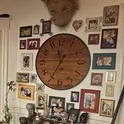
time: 11:34
